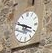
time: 3:48
